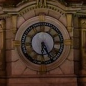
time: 6:25
